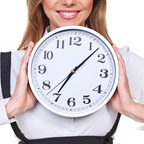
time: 7:07
